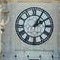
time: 2:05
